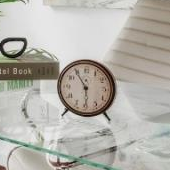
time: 5:54
